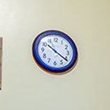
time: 10:20
